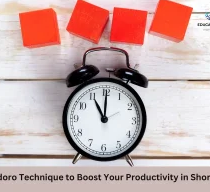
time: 11:00
